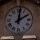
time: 12:09
